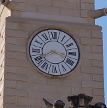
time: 3:40
